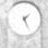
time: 1:26
